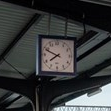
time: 7:48
